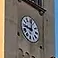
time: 9:01
